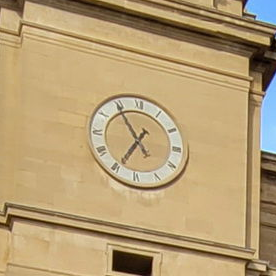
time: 6:54
